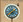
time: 1:37
